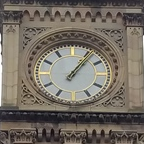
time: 1:06
